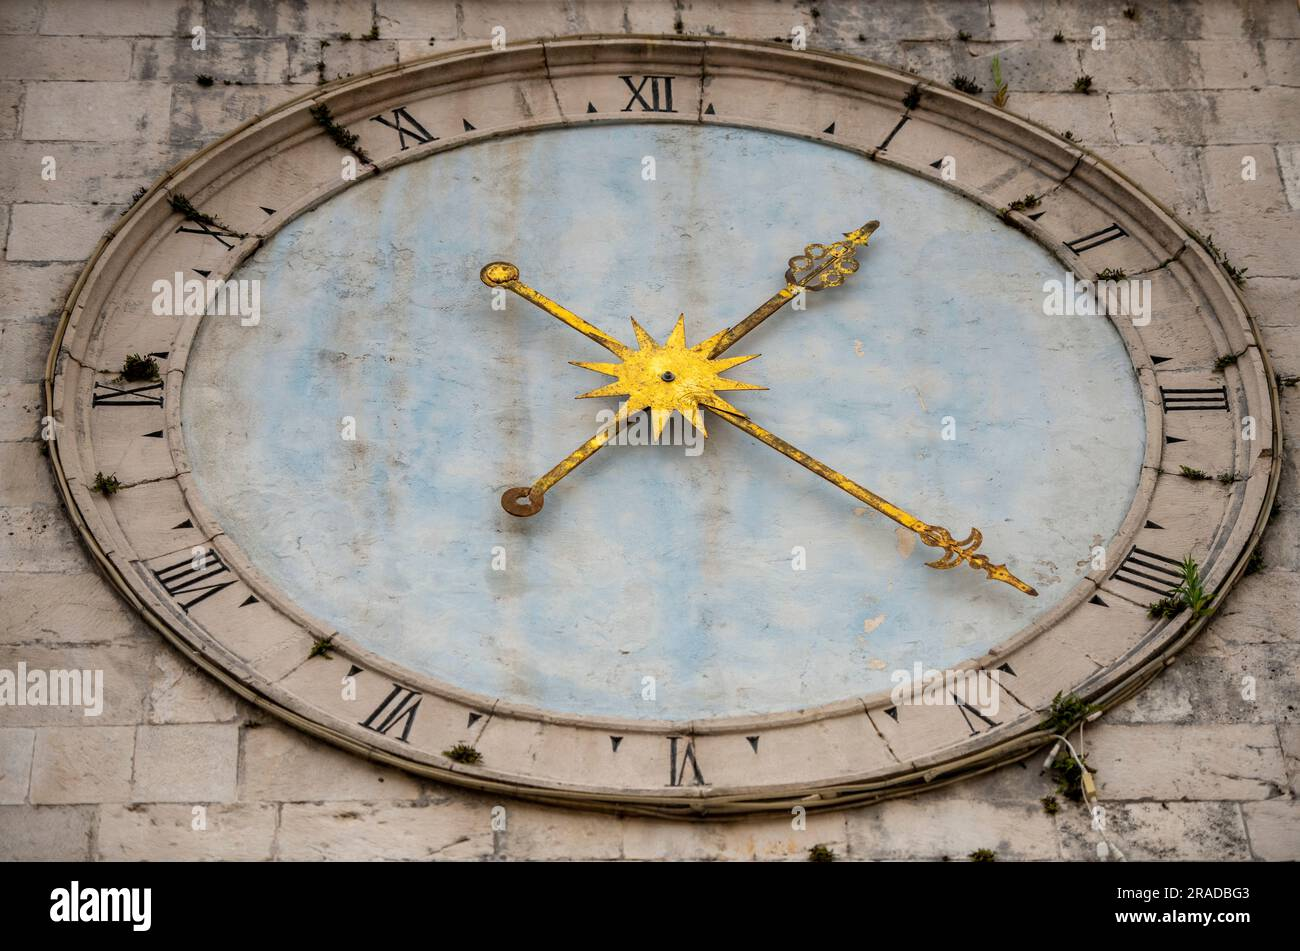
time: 1:21
